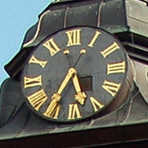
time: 5:35
